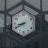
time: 8:40
